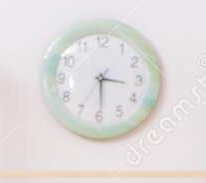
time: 3:29
